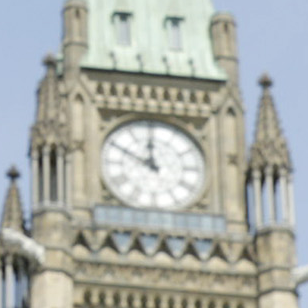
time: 11:49
